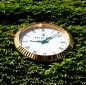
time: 9:08
